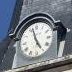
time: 4:57
